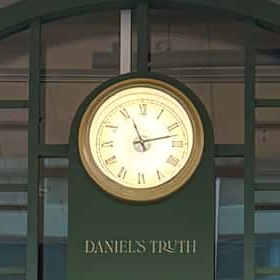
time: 11:12
